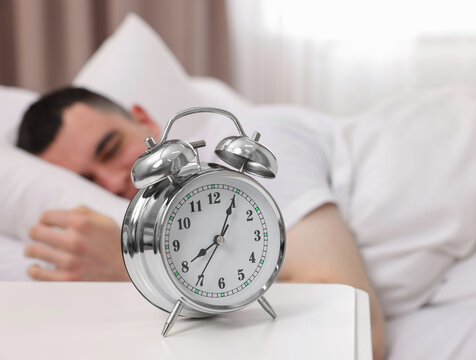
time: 8:04
